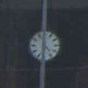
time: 4:31
